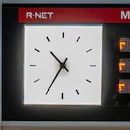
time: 10:35
